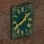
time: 1:40
